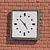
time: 4:52
